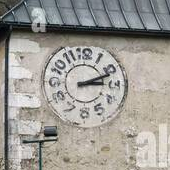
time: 3:11
